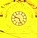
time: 9:26
